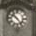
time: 10:24
